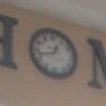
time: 12:42
